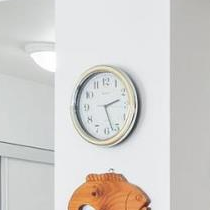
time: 2:27
